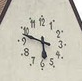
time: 5:48
